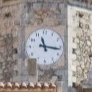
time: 11:16
